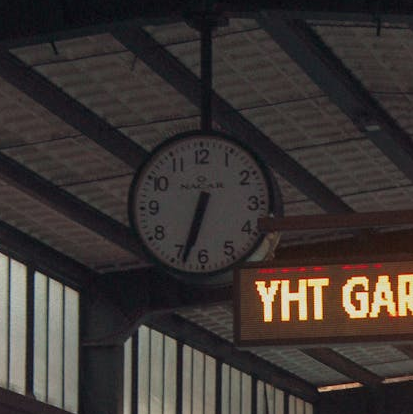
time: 6:33
